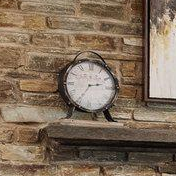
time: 2:35
